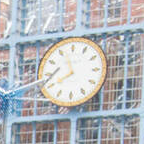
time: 7:57
